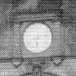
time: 6:13
